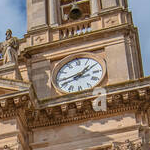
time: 1:43
